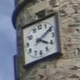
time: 4:10
